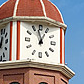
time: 12:57
